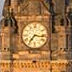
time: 7:17
